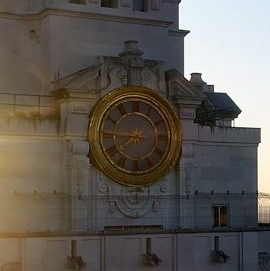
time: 7:45
